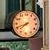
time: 7:41
